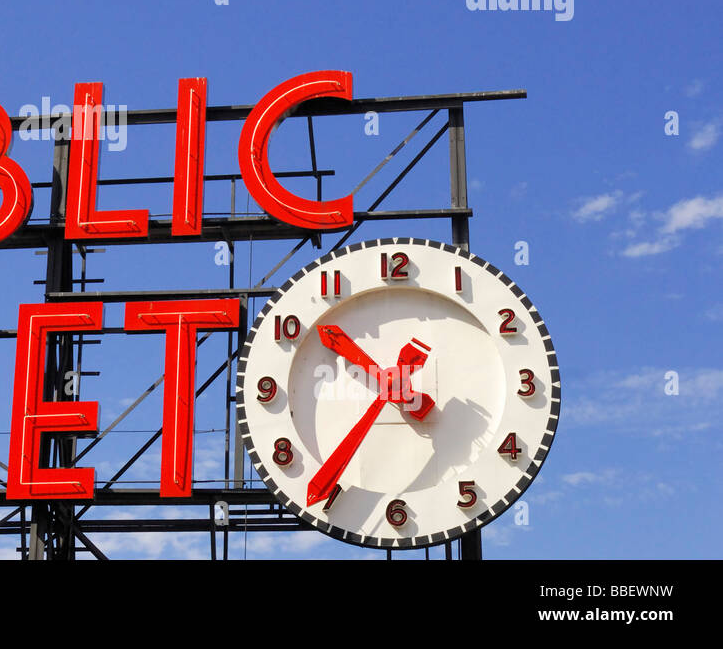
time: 10:36
